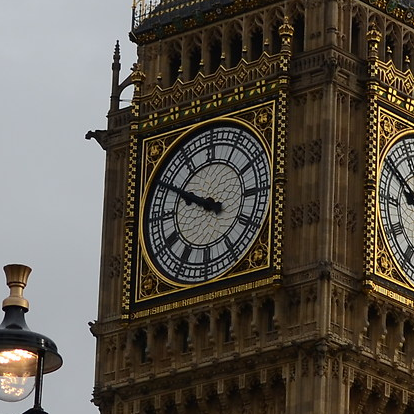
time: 9:49
